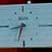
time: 8:33
